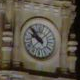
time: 9:53
